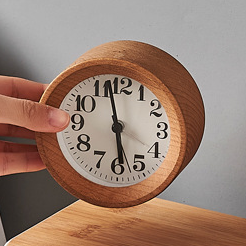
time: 5:57
